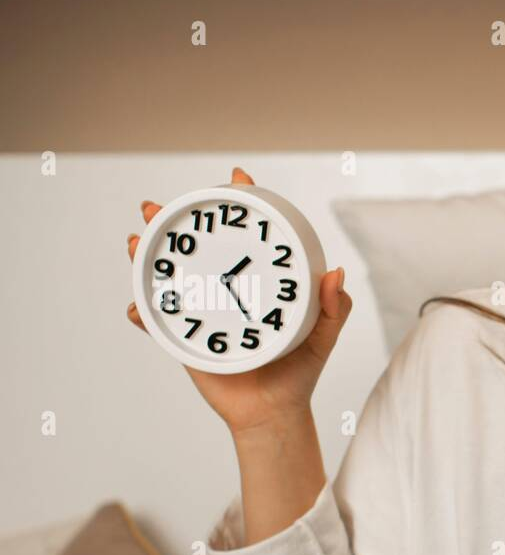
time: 1:23
